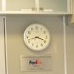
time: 3:42
